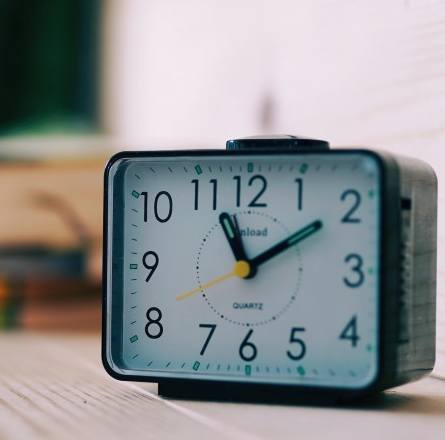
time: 11:09
